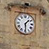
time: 1:29
